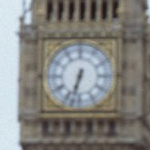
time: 6:32
